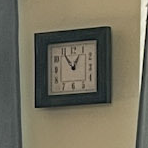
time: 12:54
